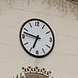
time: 6:47
